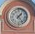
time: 1:23
